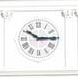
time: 10:14
